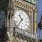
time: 10:36
